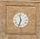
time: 11:32
